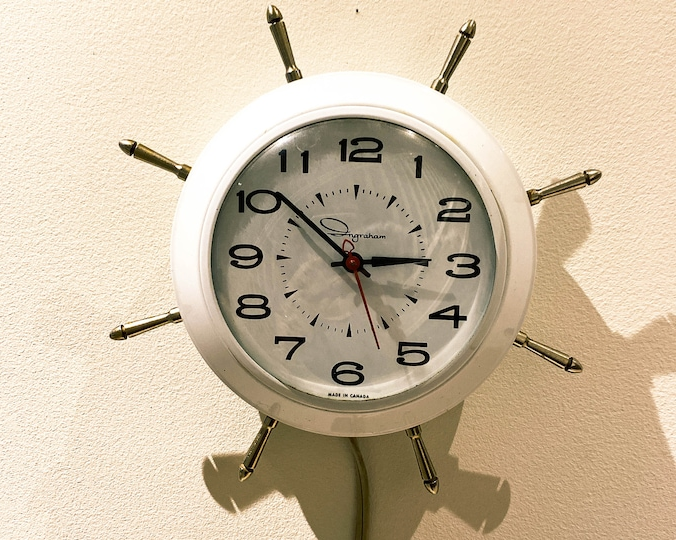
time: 2:52
